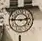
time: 2:45
